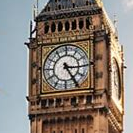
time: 3:24
